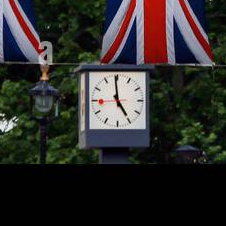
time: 4:59
